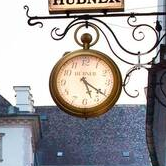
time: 5:21
